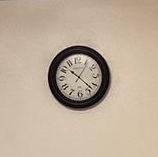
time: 10:22
